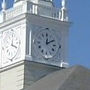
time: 12:09
